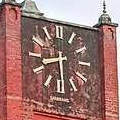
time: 8:29
